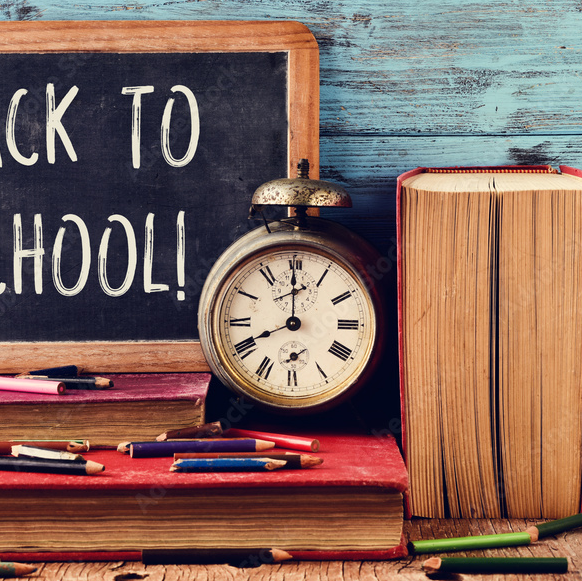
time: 7:59
